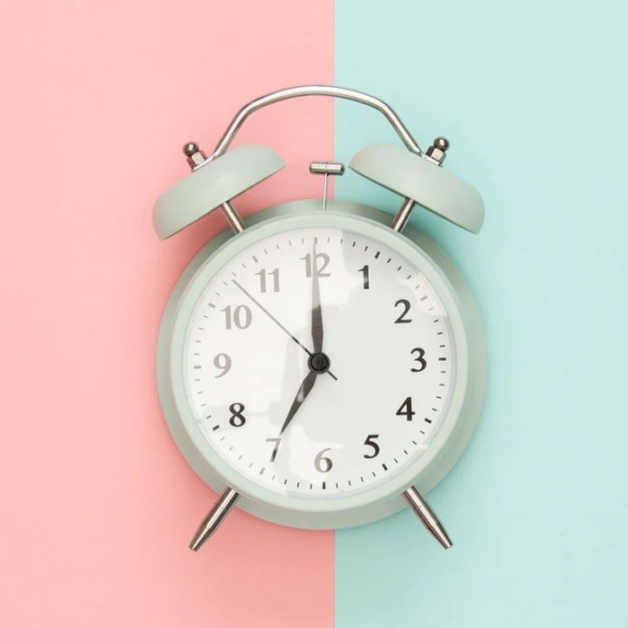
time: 7:00
